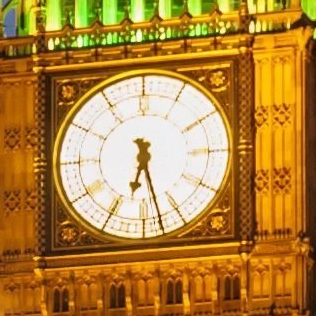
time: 6:27
